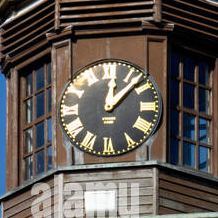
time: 12:07
